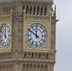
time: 11:50
